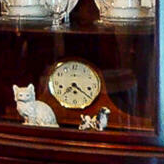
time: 7:21
